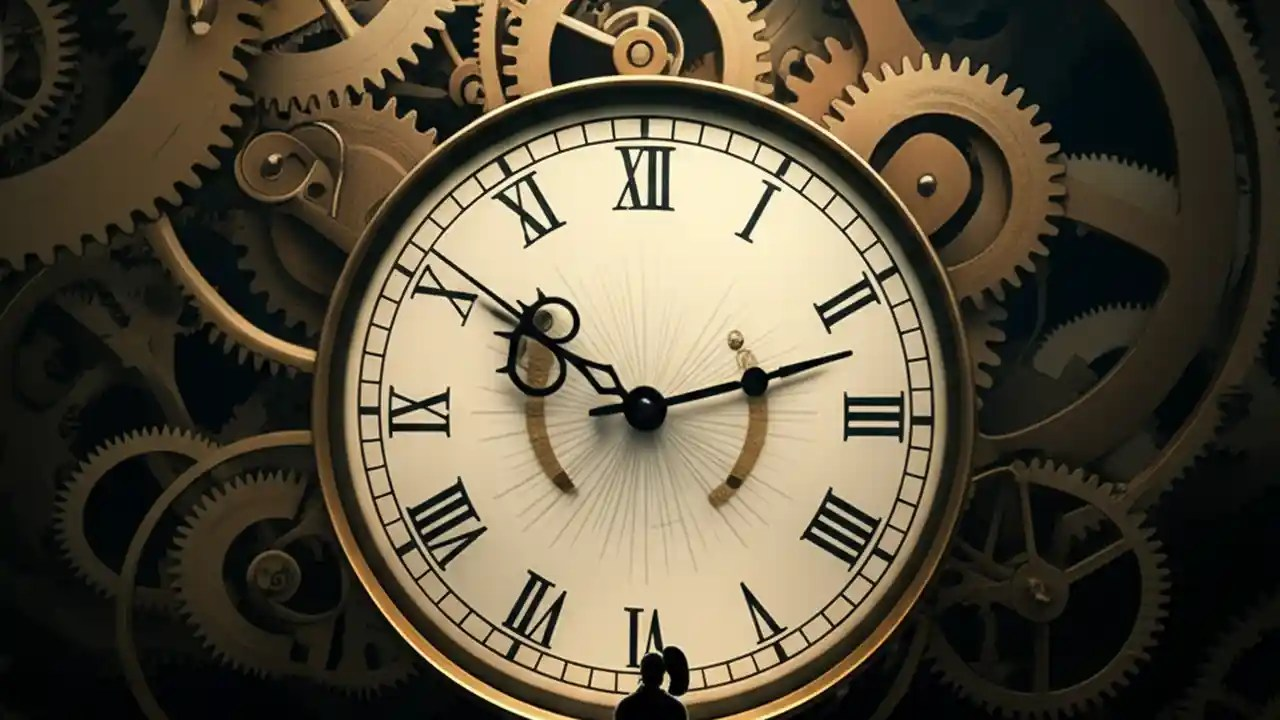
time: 10:12
